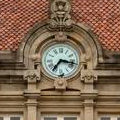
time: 7:17
